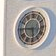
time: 5:45
